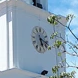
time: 5:18
